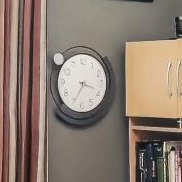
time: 3:34
